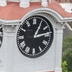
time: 1:13
